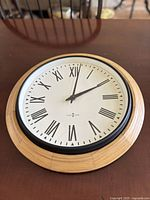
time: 2:01
